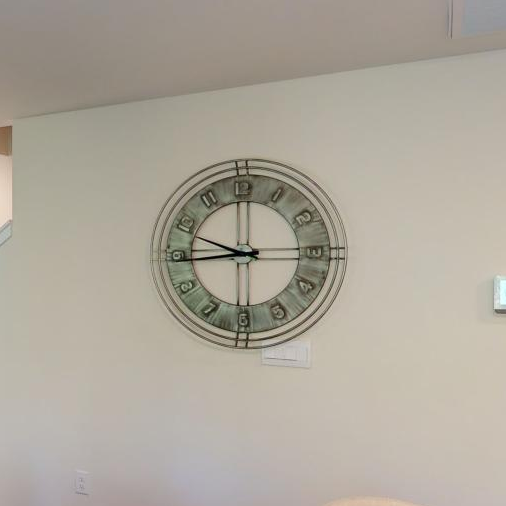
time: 9:44
